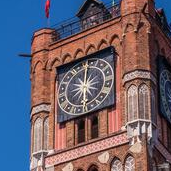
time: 6:00
